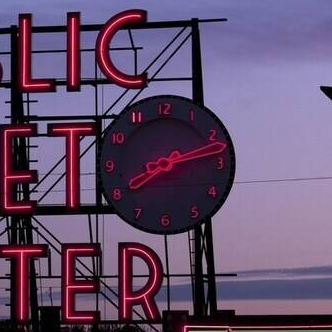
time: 8:13
